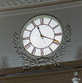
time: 11:18
